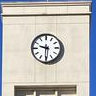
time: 9:30
